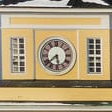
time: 5:38
